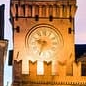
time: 9:33
